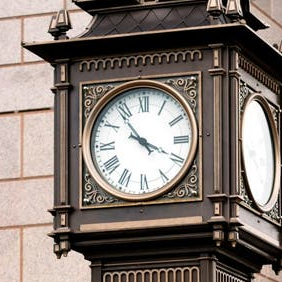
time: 3:53
